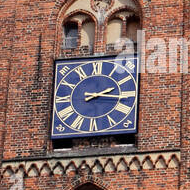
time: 2:15
